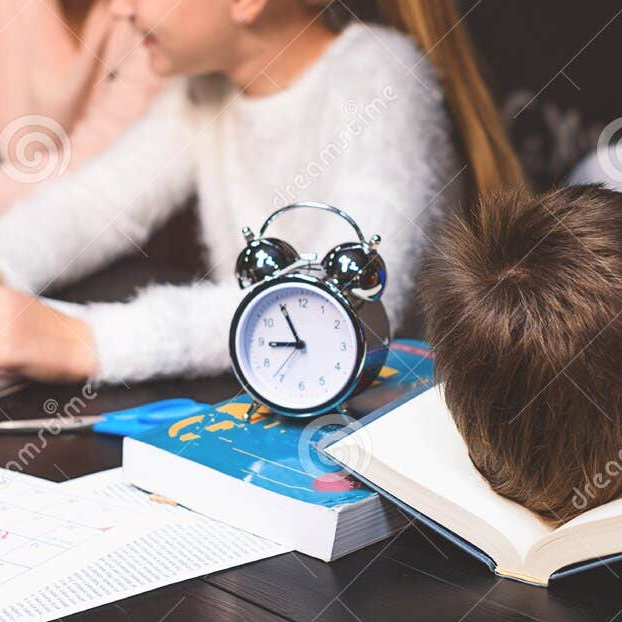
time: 8:55
